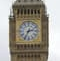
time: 2:34
